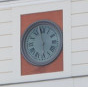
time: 5:58
